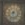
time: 8:32
